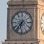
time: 6:36
